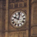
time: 10:02
